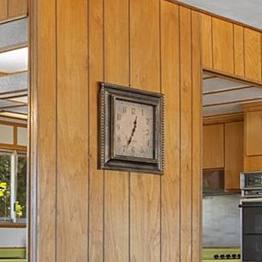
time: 12:34
